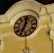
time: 12:34
